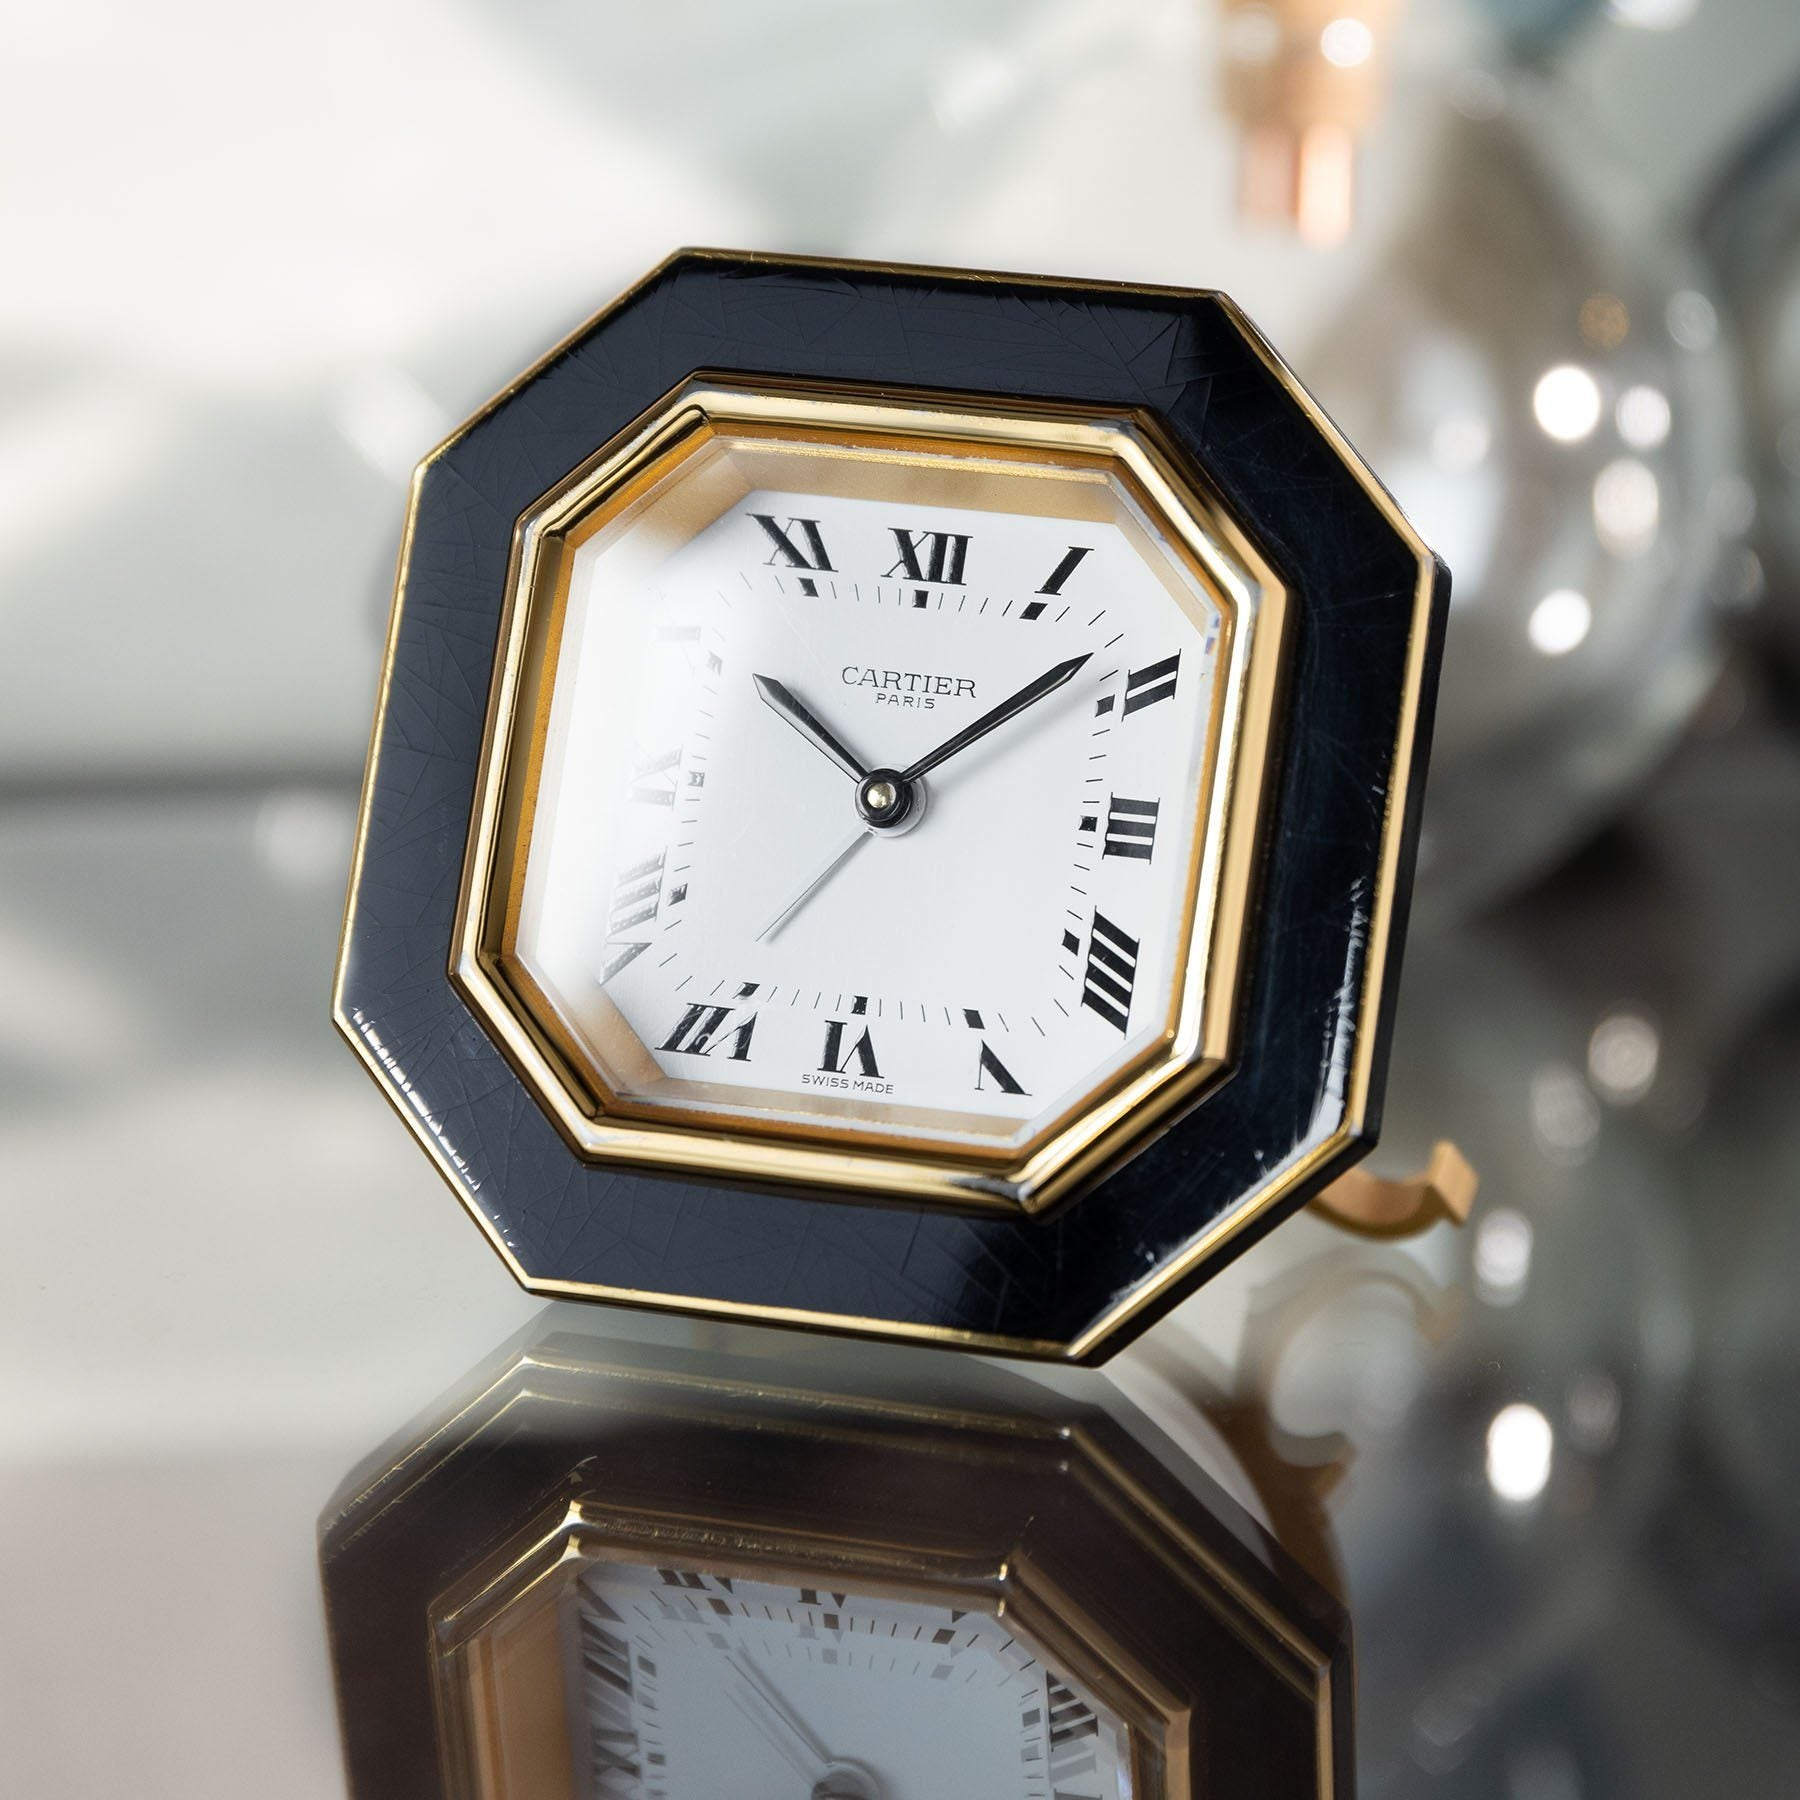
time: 10:08
